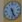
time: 5:26
